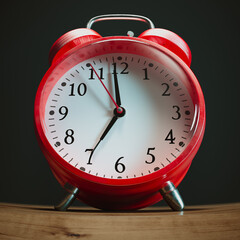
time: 6:58
